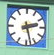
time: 2:27
